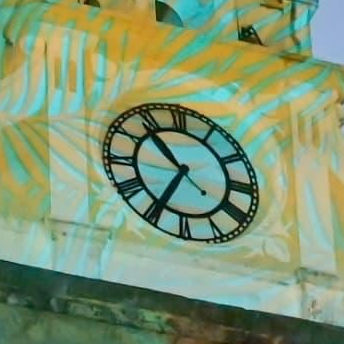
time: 10:34
